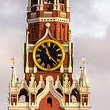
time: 11:22
